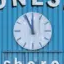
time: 11:55
